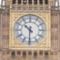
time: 10:30
